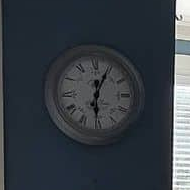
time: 6:04
